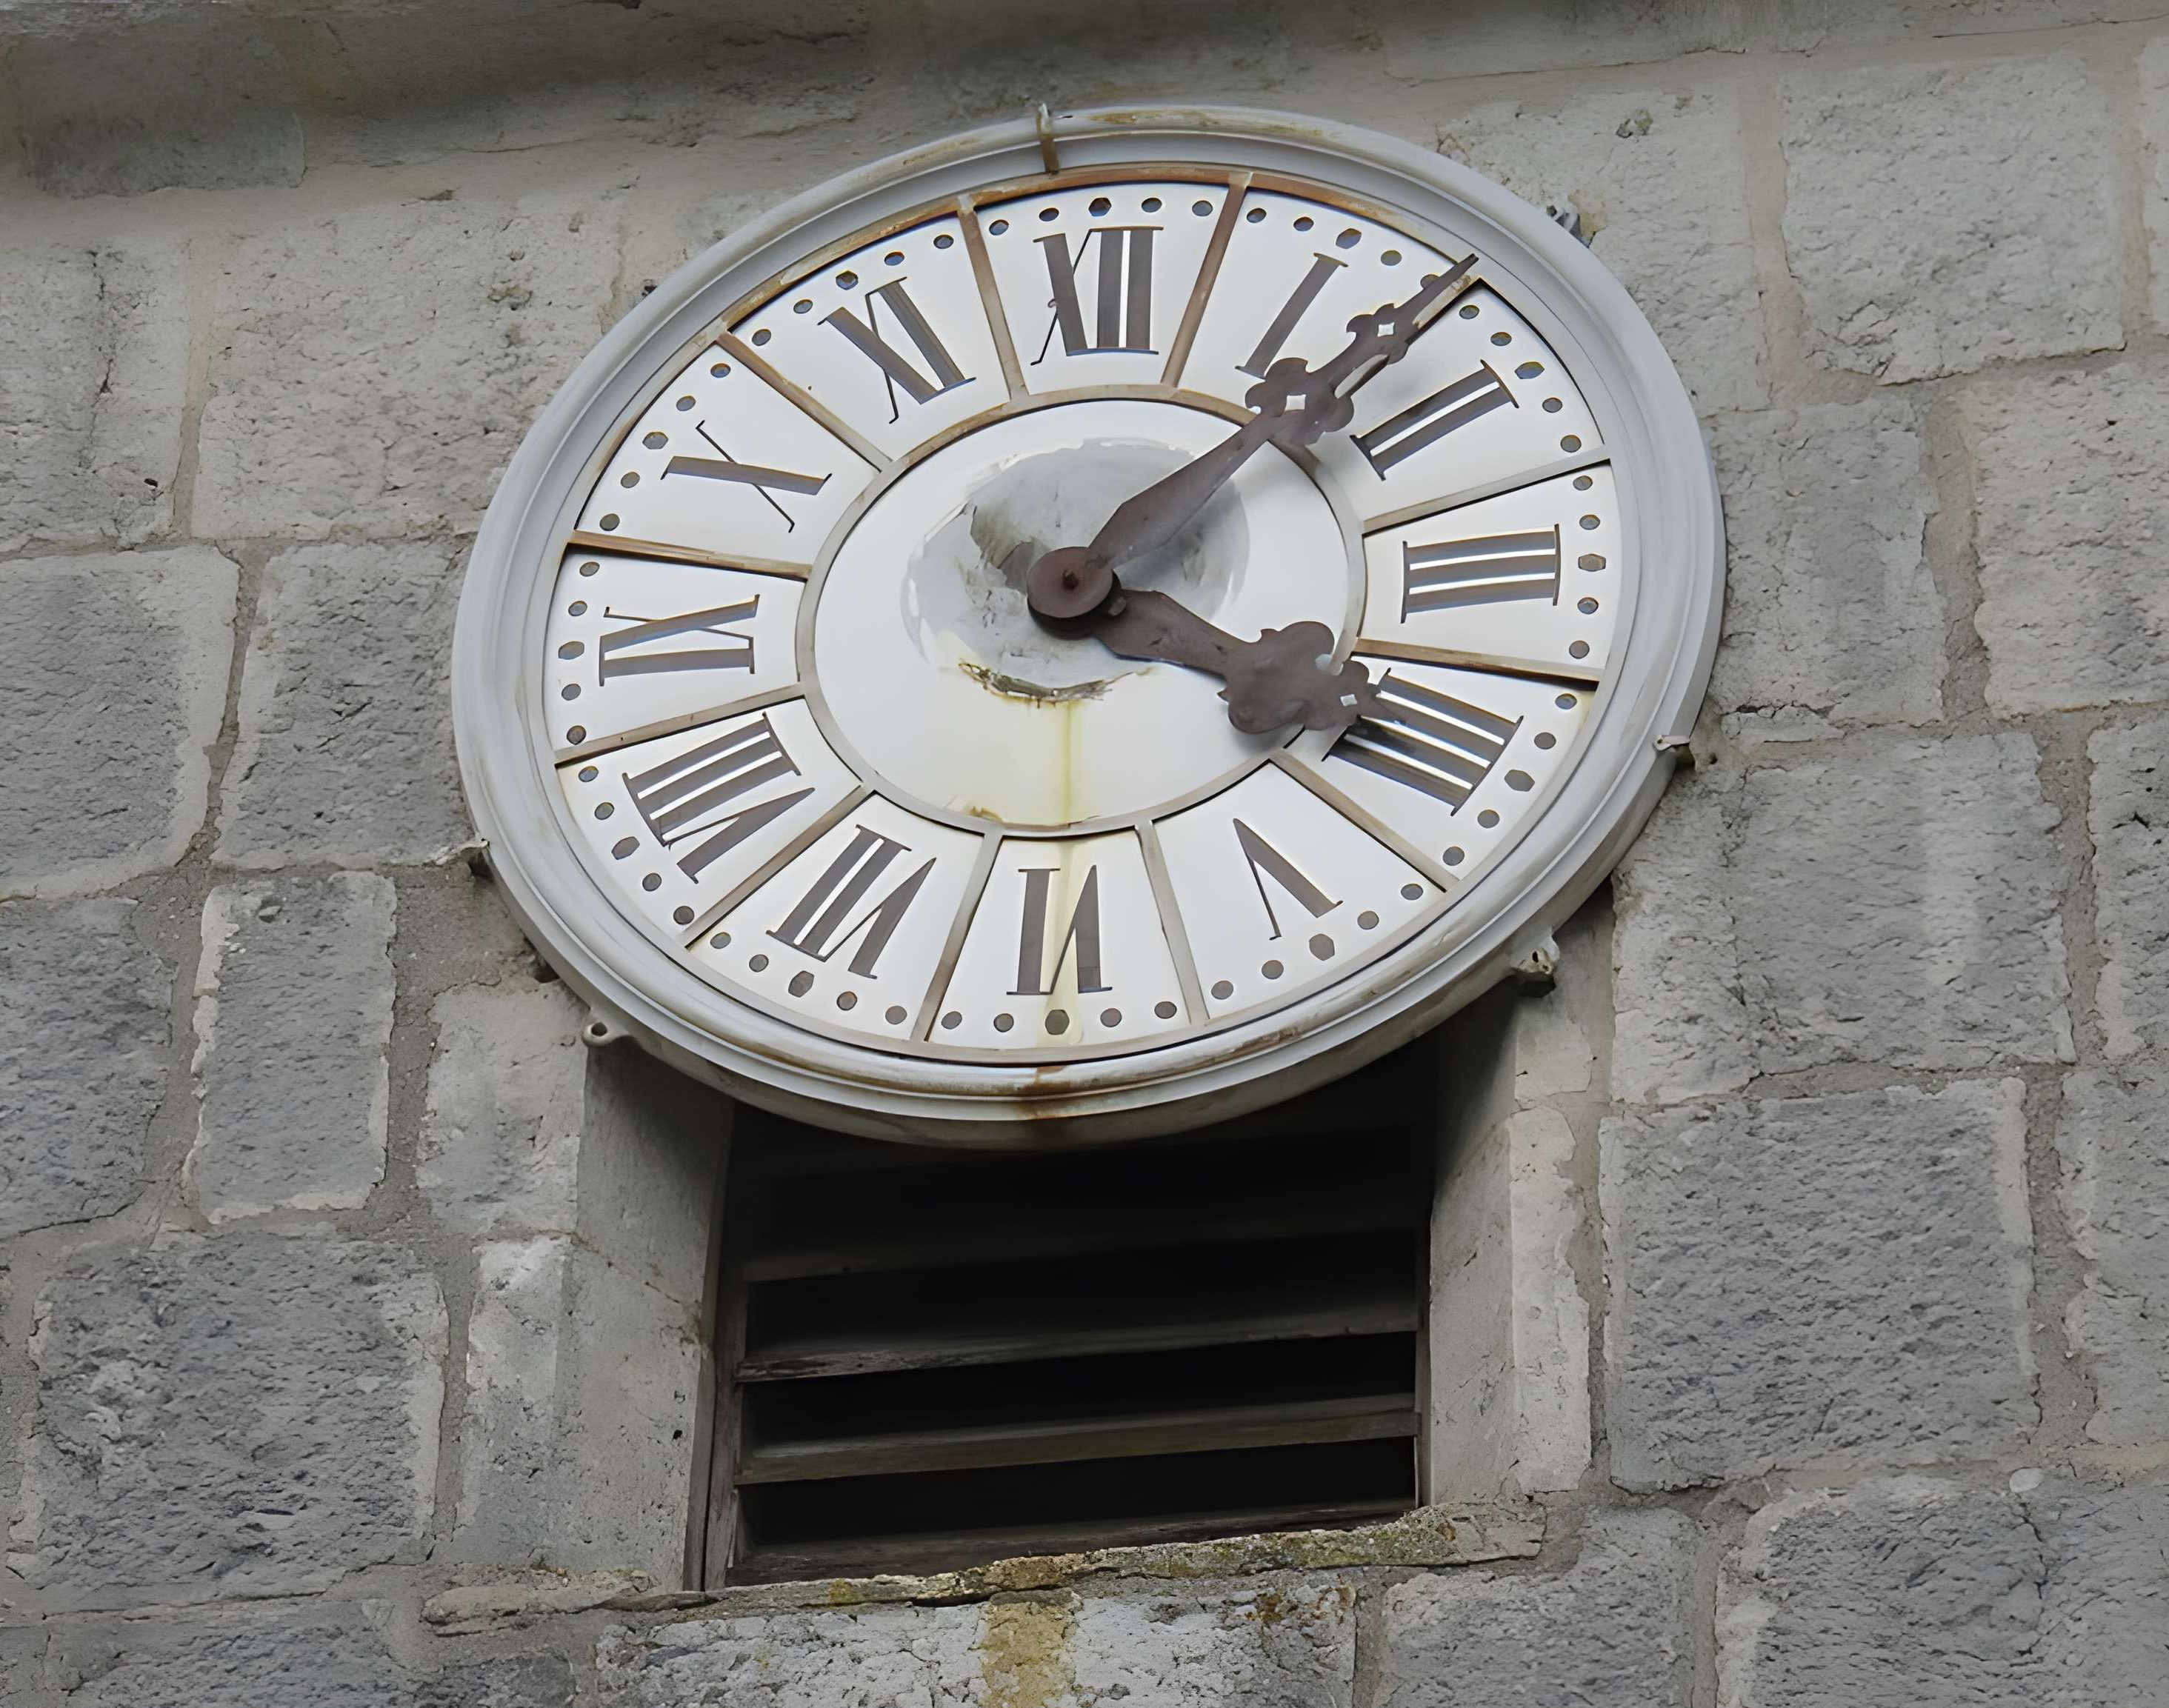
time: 4:07
